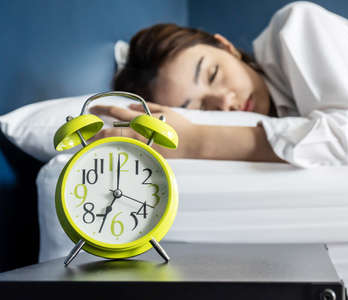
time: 7:00
